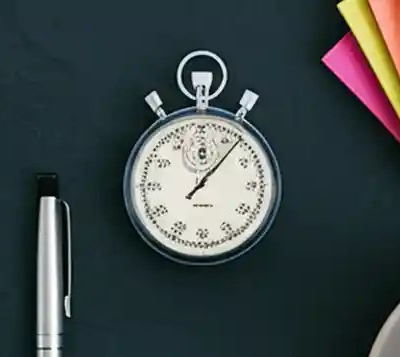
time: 1:06
